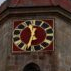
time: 11:32
